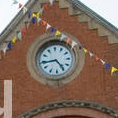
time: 4:44
